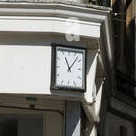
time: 11:07
